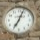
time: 7:04
